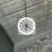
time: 6:20
